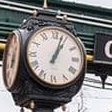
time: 1:03
